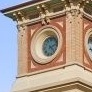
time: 2:23
